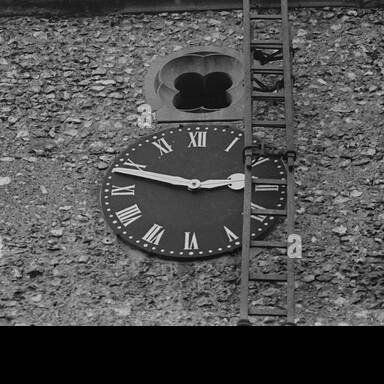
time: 2:48
